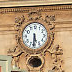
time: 5:30
